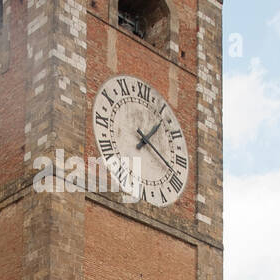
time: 1:18
